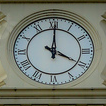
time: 4:00
